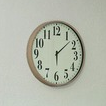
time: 6:08
